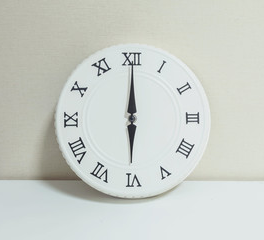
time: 6:00
